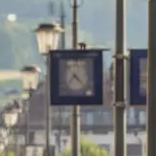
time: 7:22
